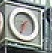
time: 1:33
